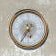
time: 5:35
